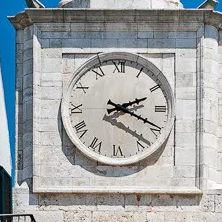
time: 2:19
